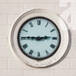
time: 2:45
